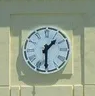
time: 1:30
